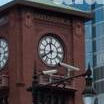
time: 11:39
